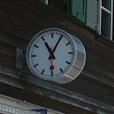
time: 11:04
